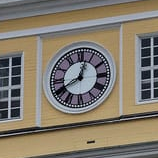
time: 12:40
